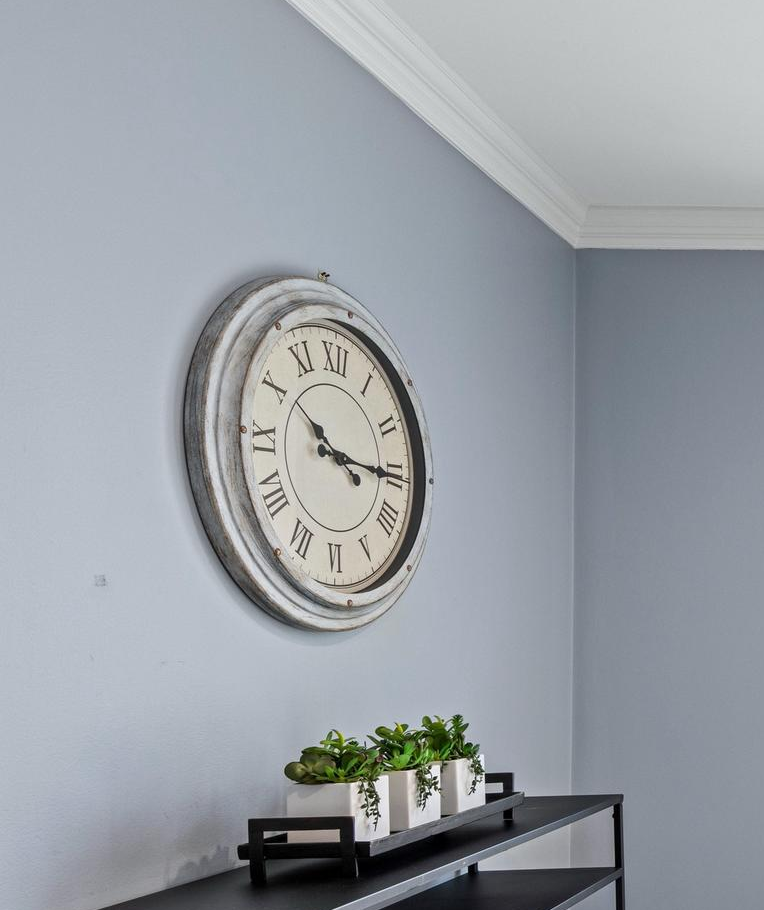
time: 10:15
